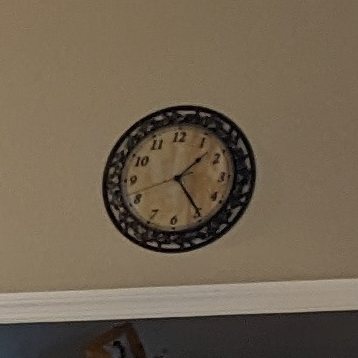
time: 1:24
